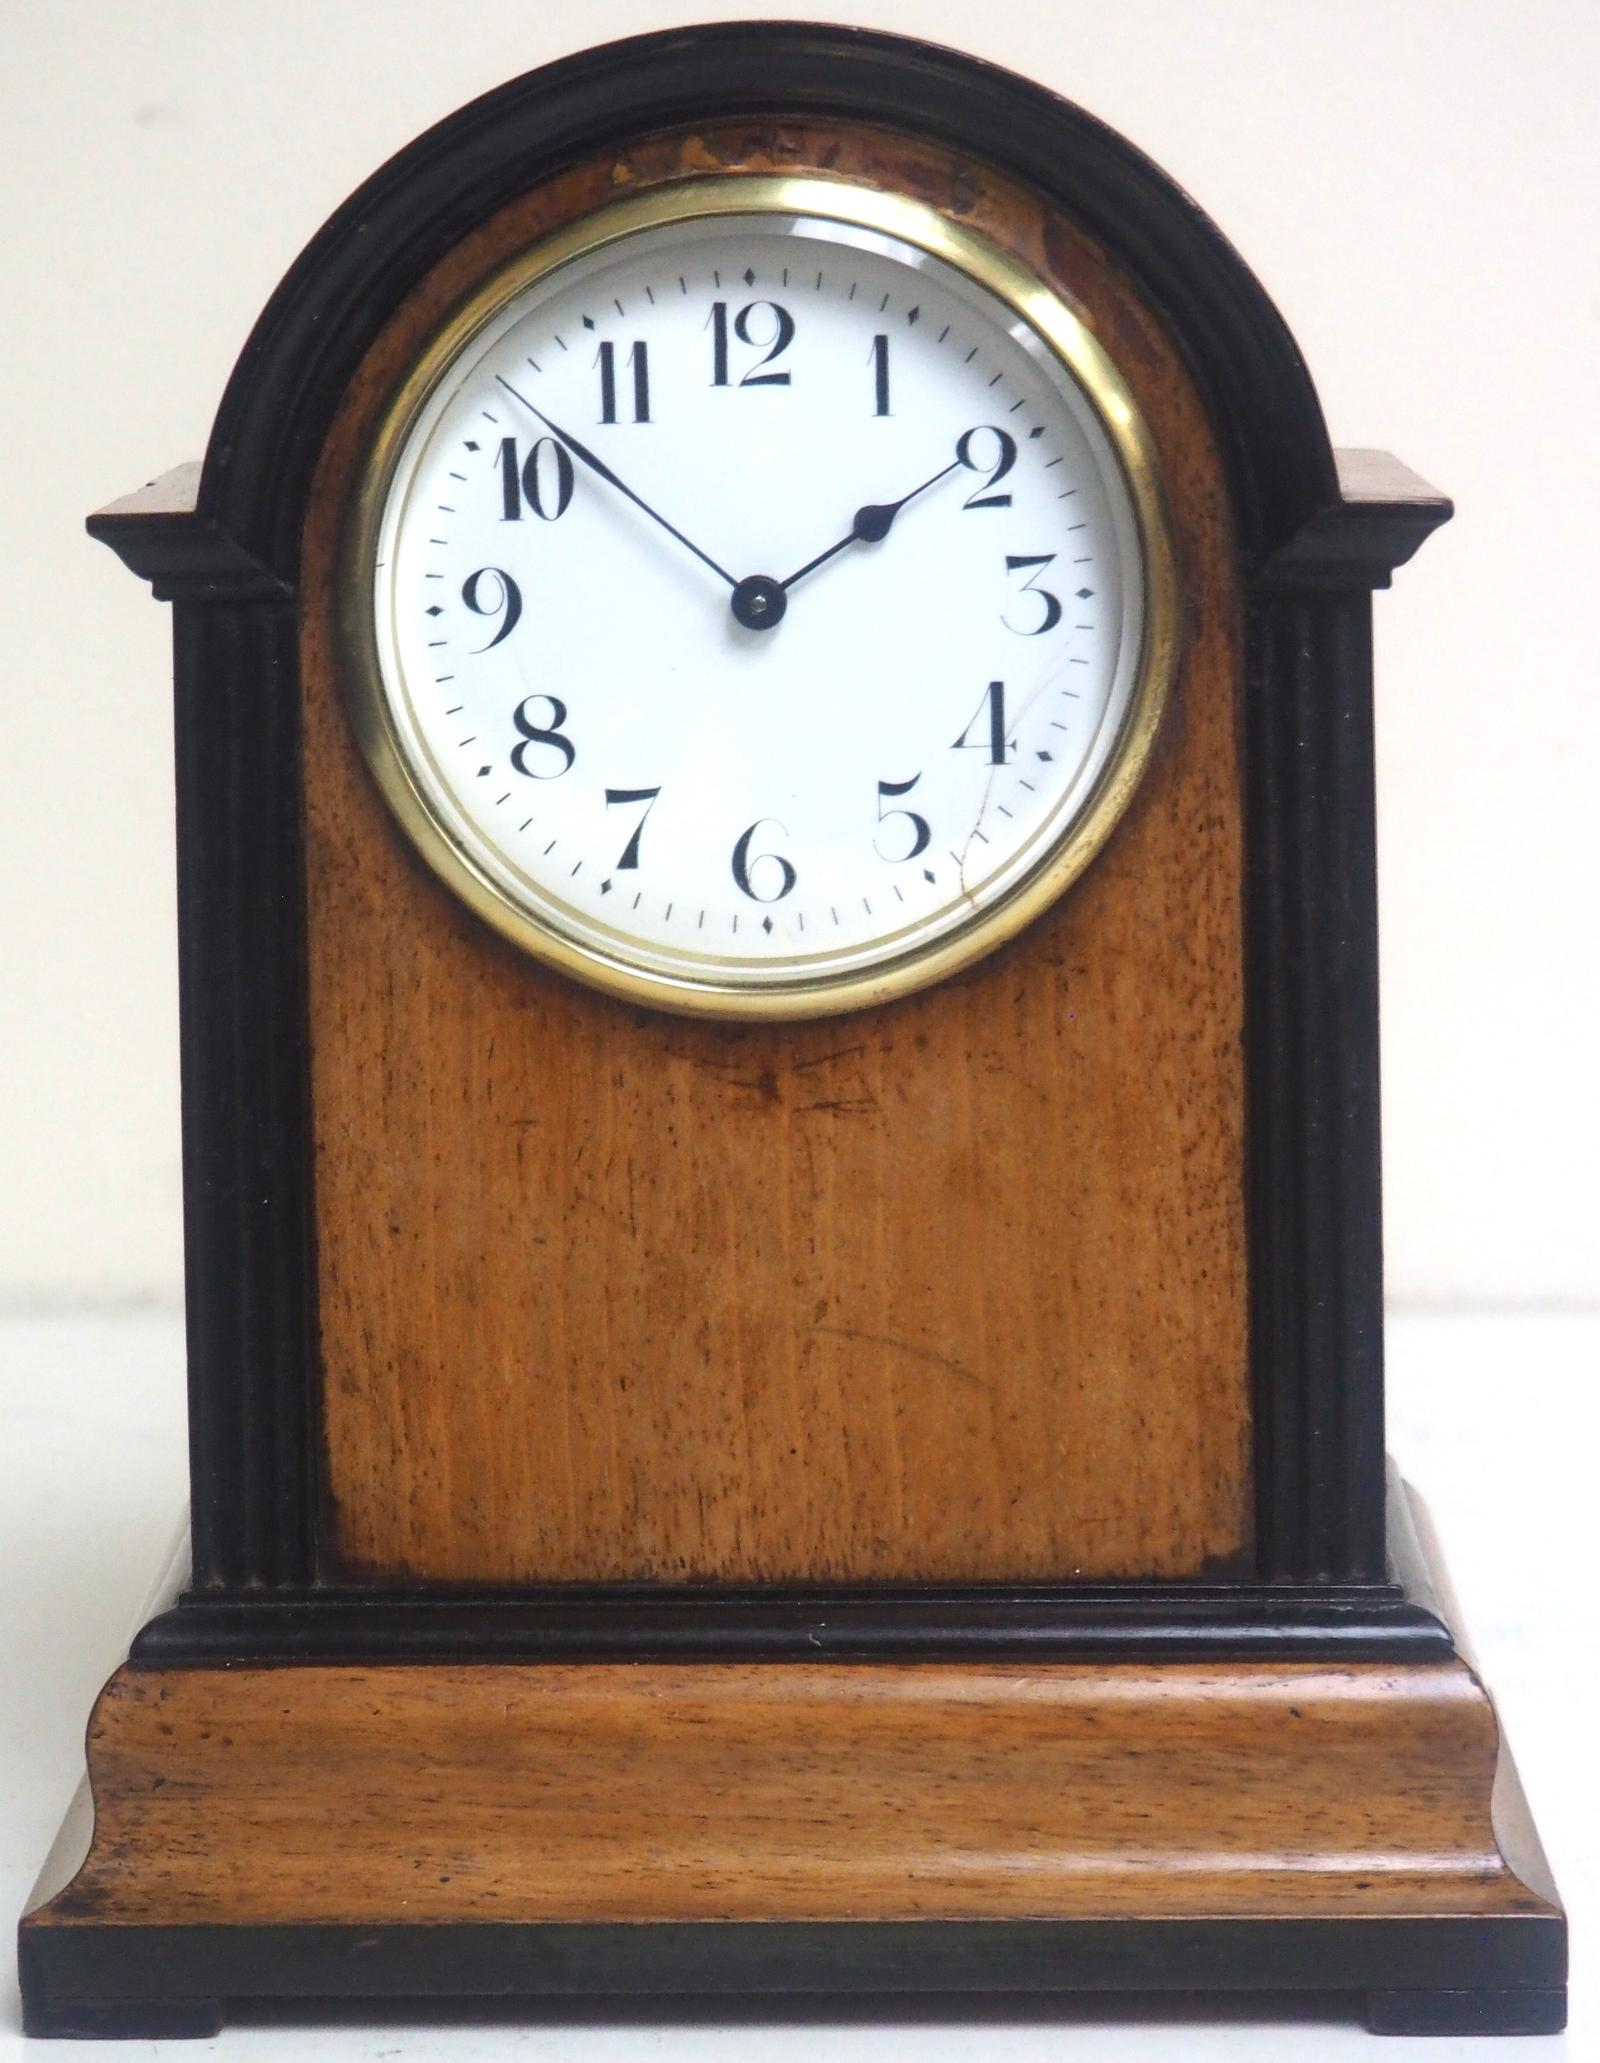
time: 1:51
